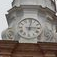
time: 3:01
